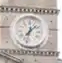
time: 1:32
